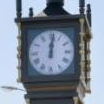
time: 12:01
